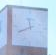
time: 11:41
